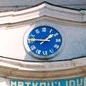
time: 1:46
